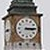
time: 3:14
